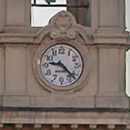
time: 9:22
